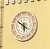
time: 5:50
